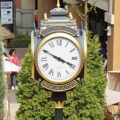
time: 3:49
